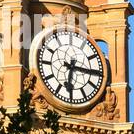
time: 6:15
